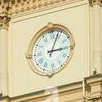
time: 3:03
